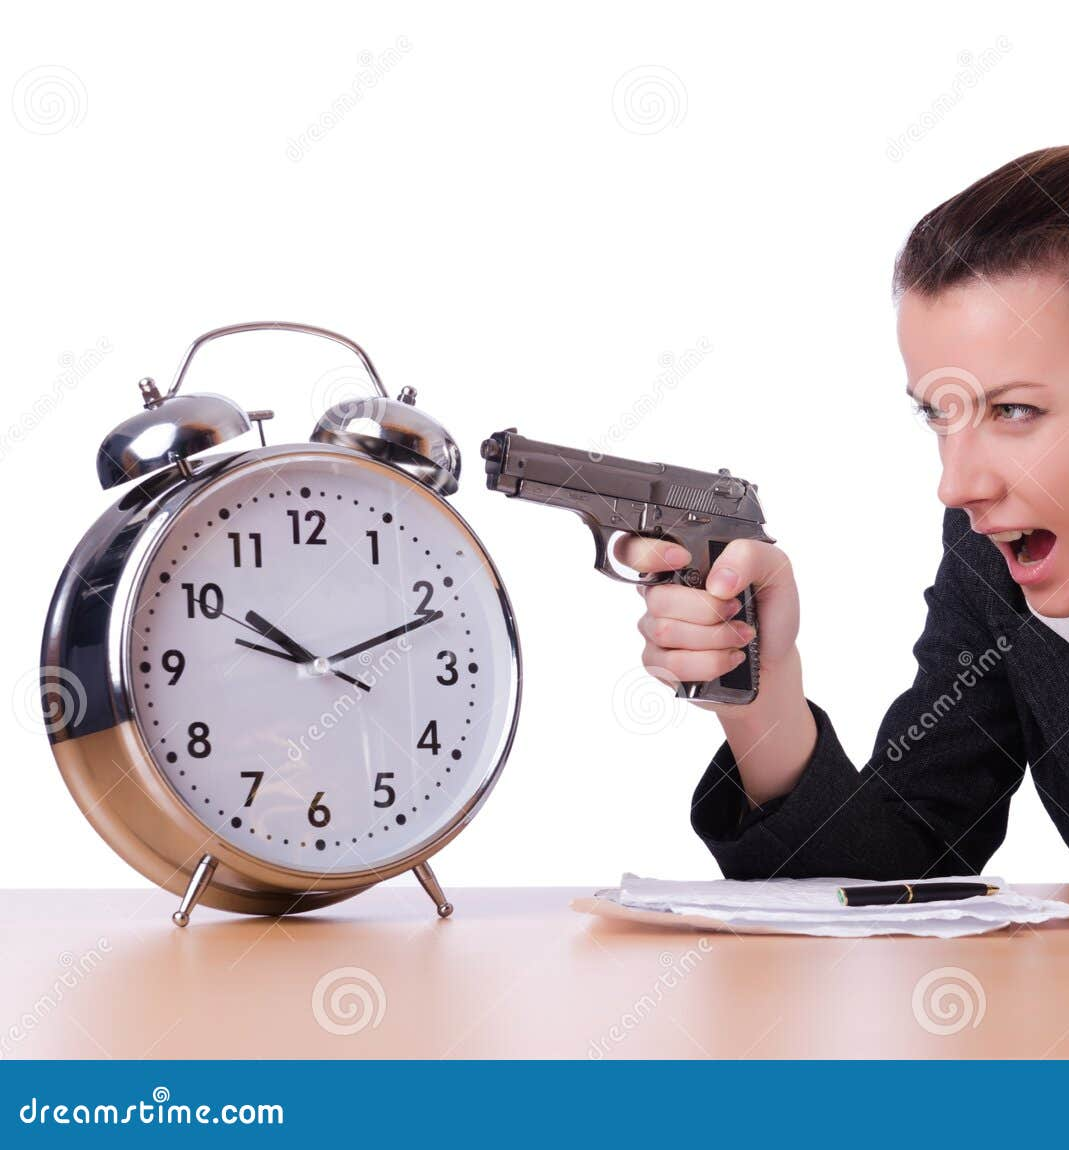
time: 10:11
